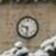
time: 9:32
